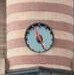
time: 11:25
